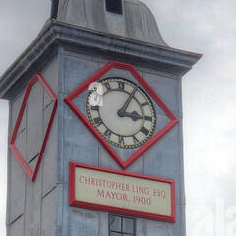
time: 3:04
